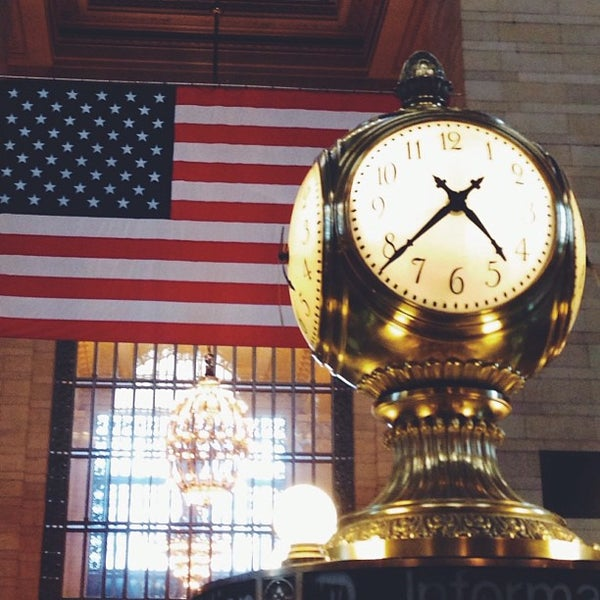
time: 4:38
